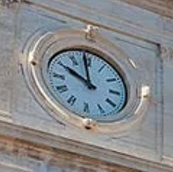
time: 9:58
